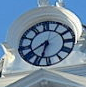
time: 6:40
